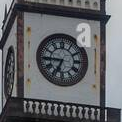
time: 6:44
